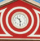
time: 10:28
